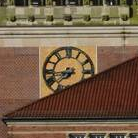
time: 7:44
